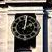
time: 2:01
